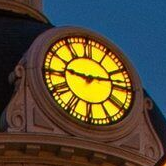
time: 9:13
